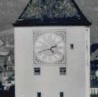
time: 4:42
